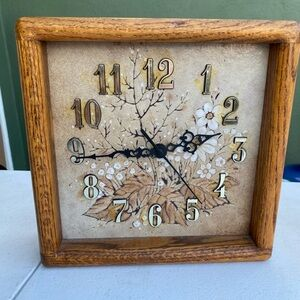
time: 2:44
